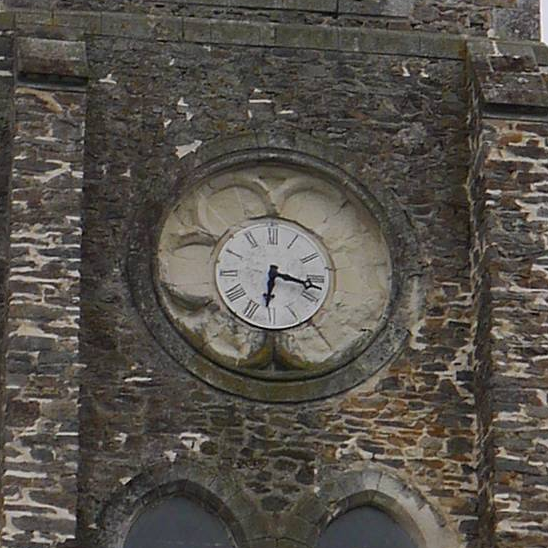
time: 6:17
